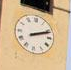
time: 2:11
